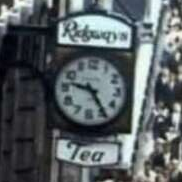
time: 9:24
